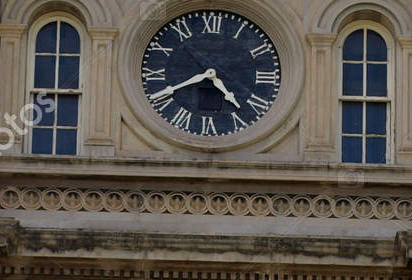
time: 4:40
